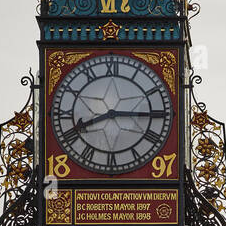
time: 8:14
